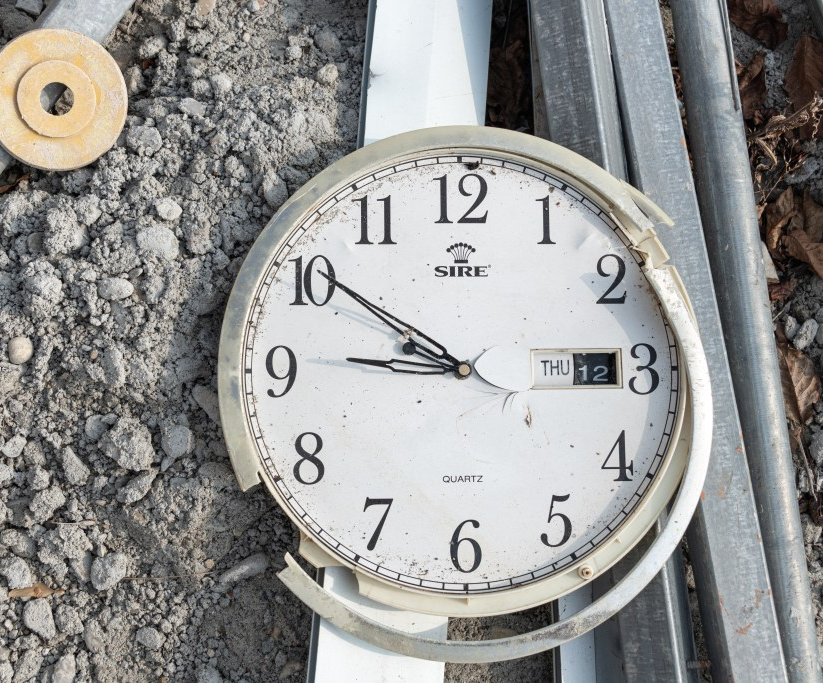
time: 8:50
